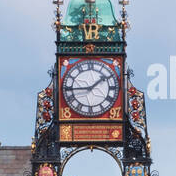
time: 1:44
